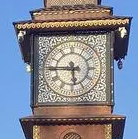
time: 5:45
